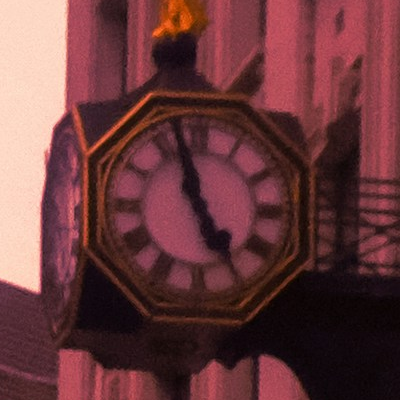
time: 4:57
